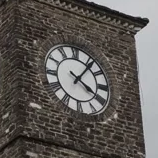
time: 4:06
